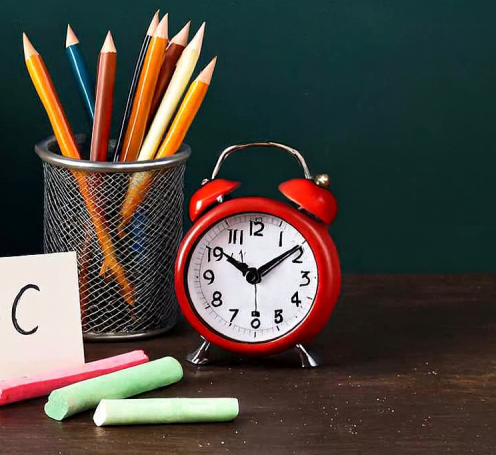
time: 10:09
